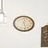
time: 12:28
